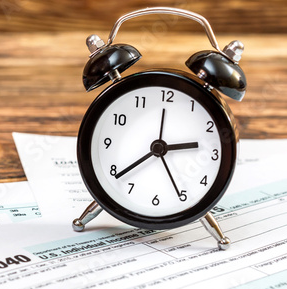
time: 2:38
